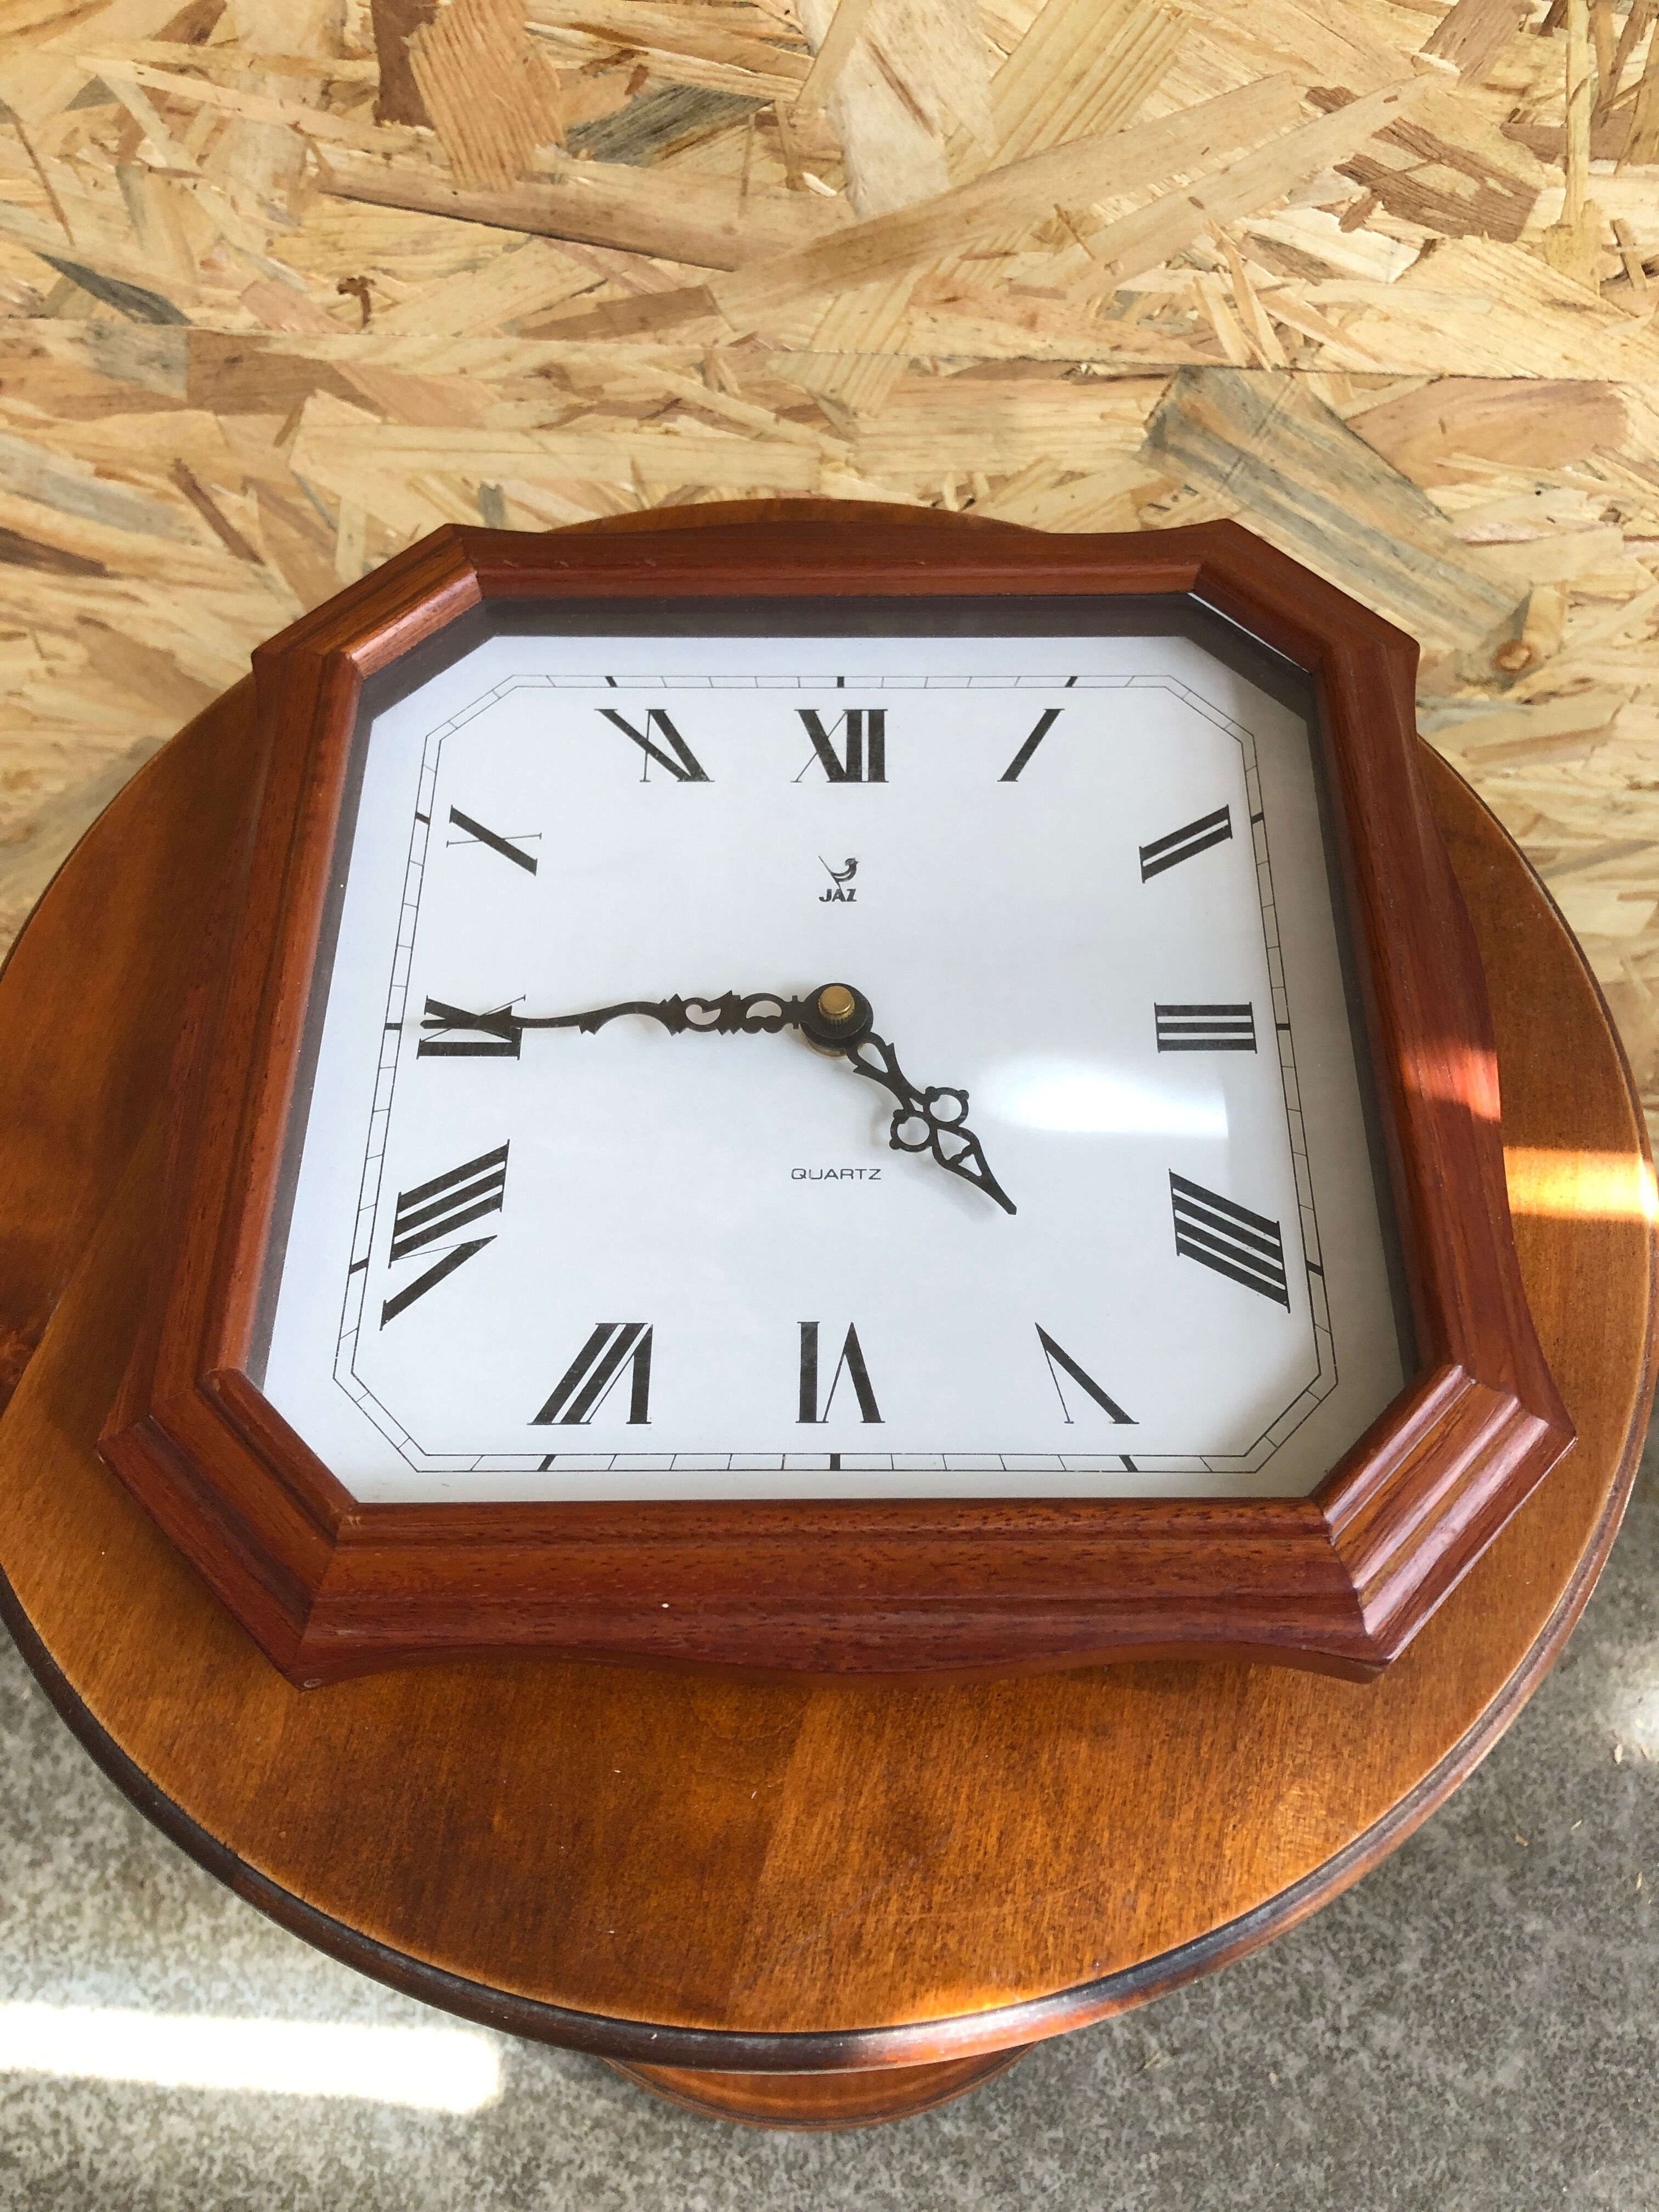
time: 4:44
